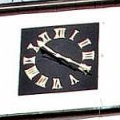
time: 10:19
